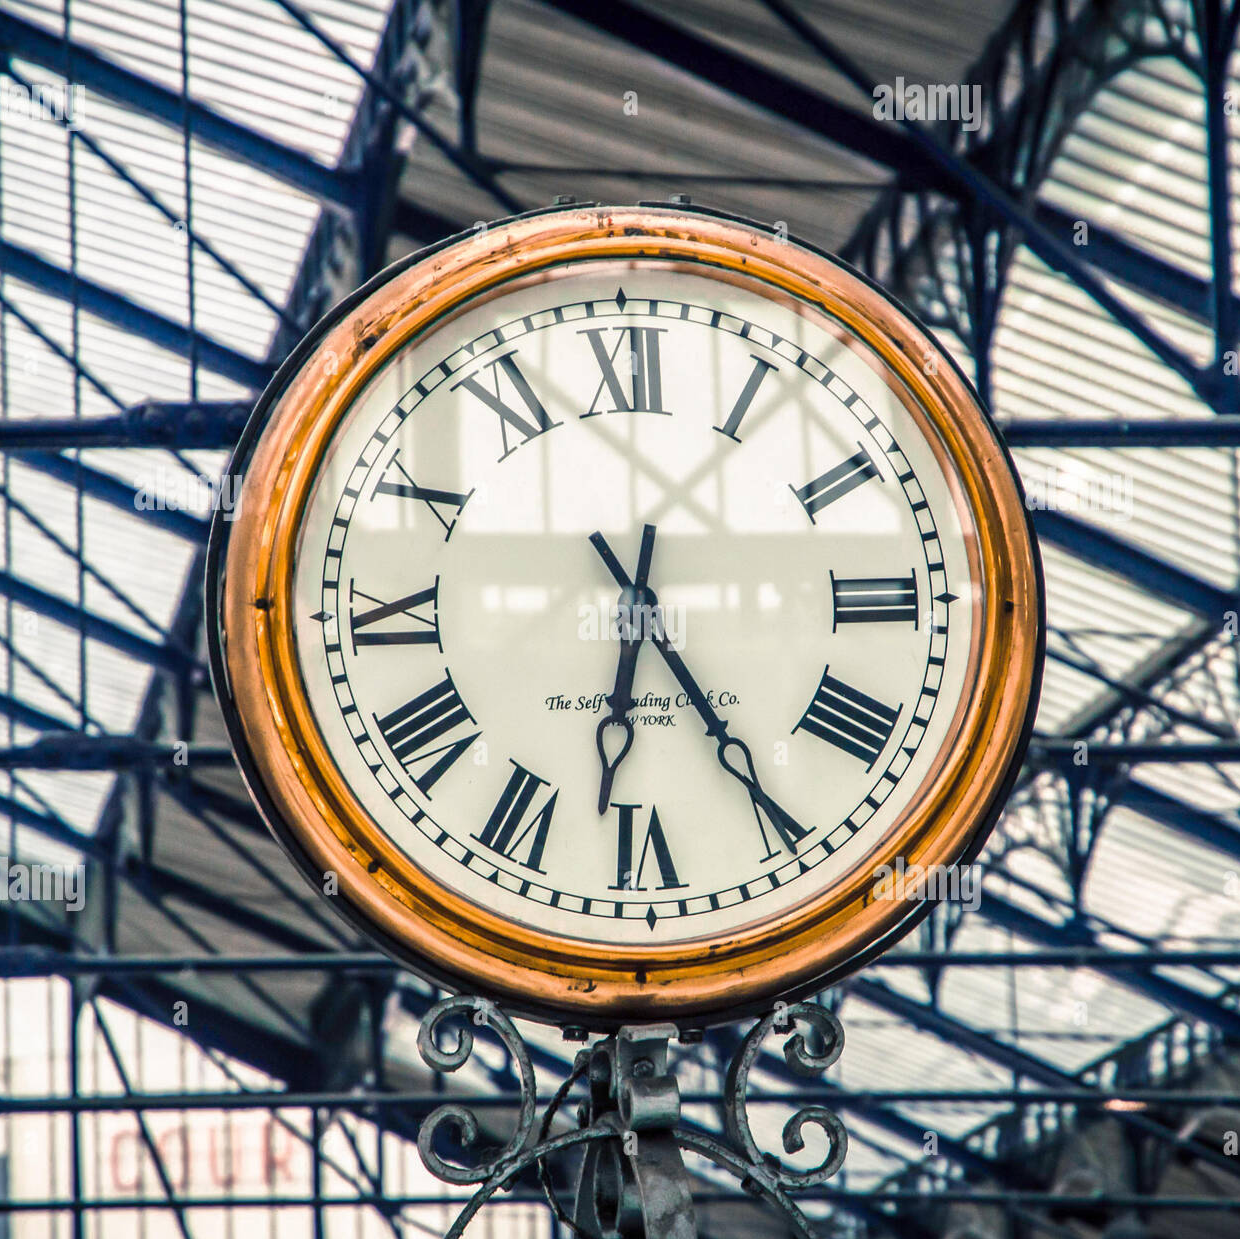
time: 6:24
